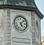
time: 5:08
